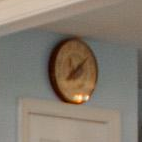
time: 8:07
